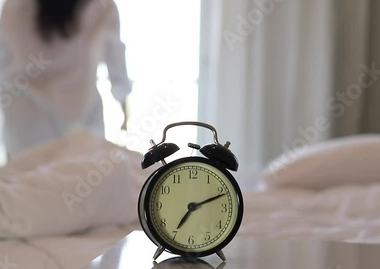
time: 7:11
